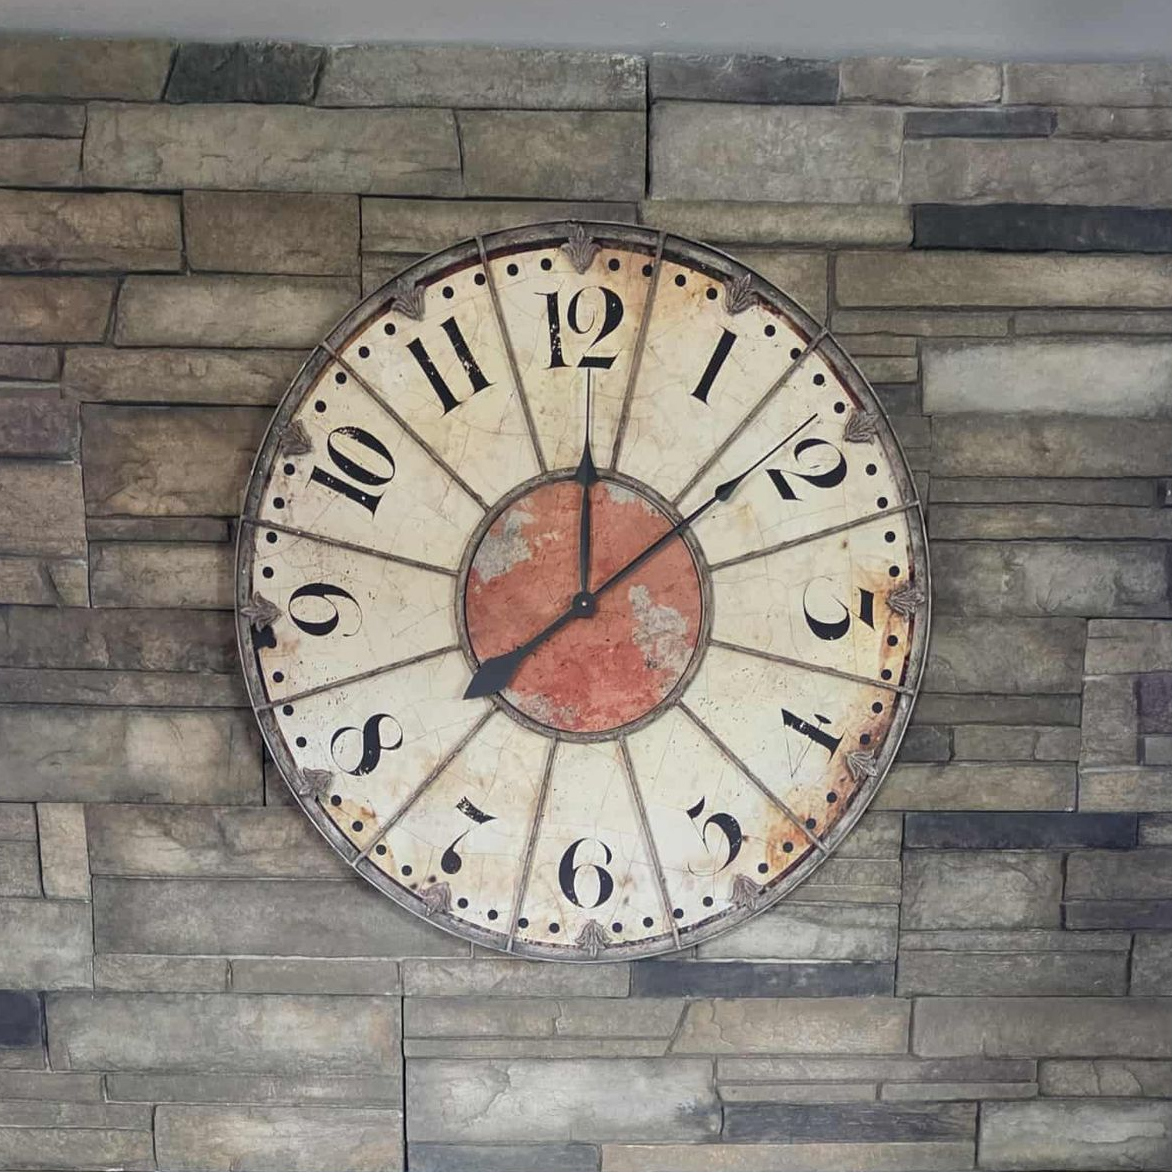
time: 12:09
